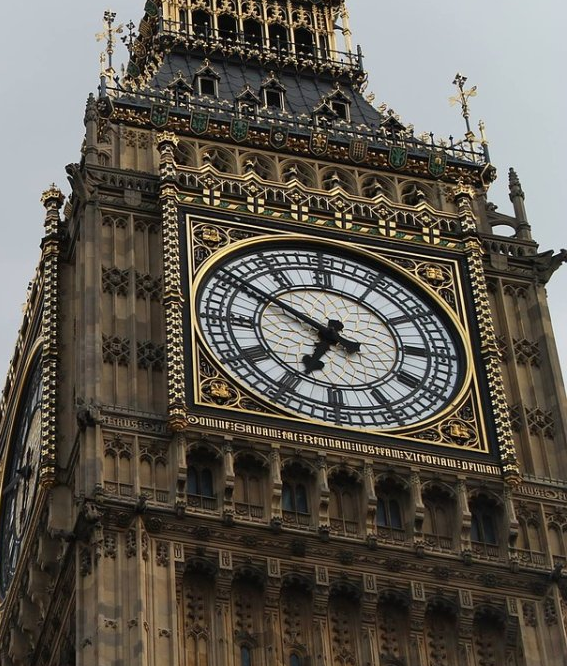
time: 6:50
